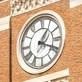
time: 1:18
